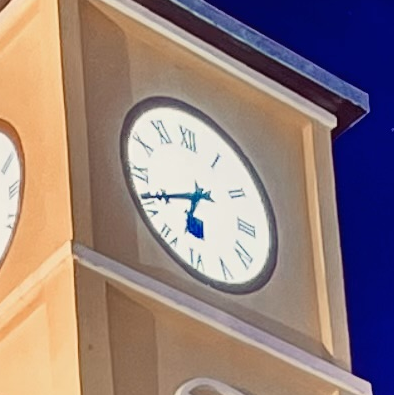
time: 6:41
